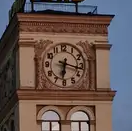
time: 6:17
